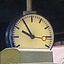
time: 9:54
